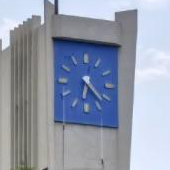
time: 6:22
